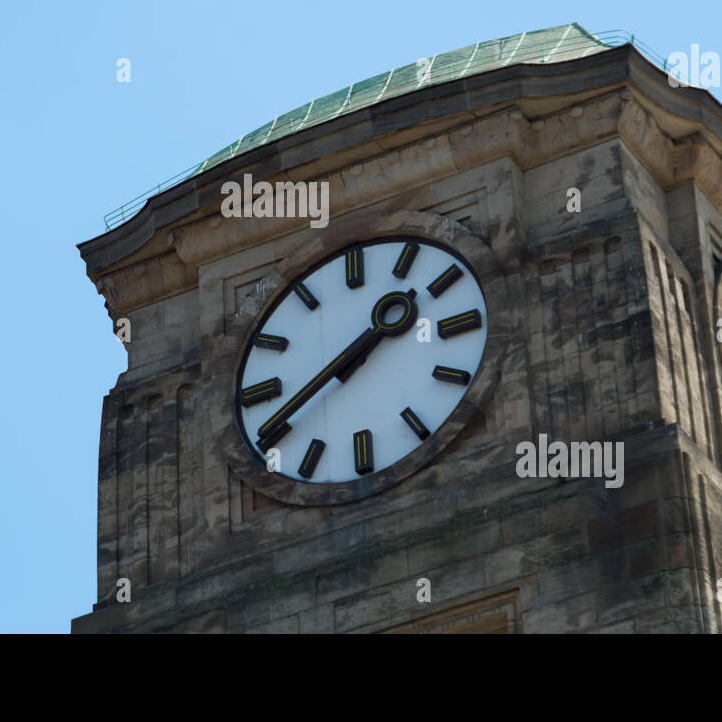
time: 1:39
